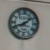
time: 8:08
